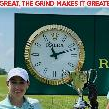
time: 11:11
